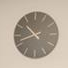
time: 10:41
